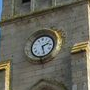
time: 2:27
